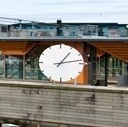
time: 1:13
